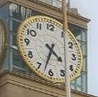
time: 4:32
